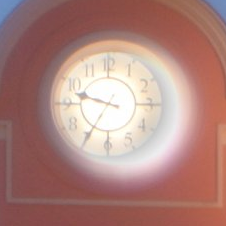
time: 9:34
